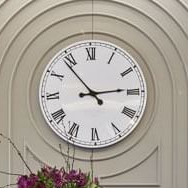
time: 2:53
